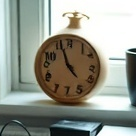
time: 4:56
